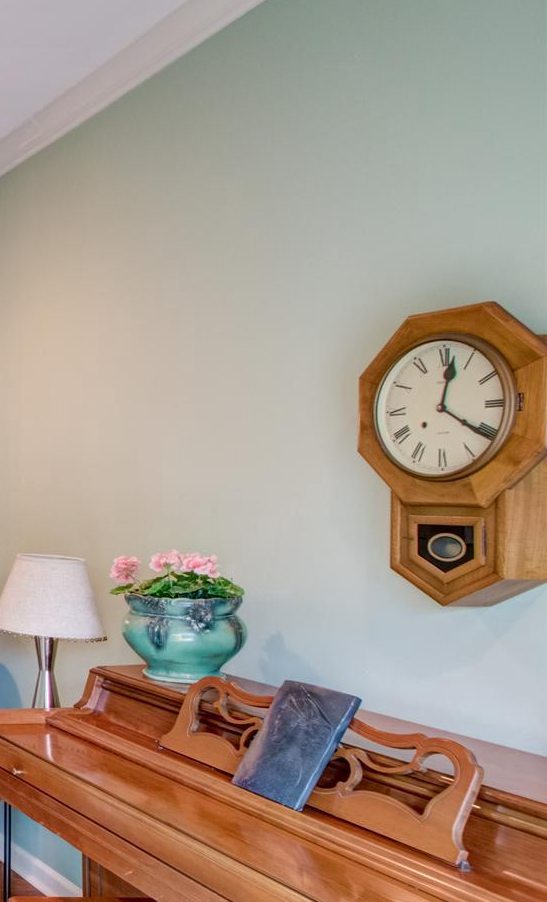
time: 12:20
